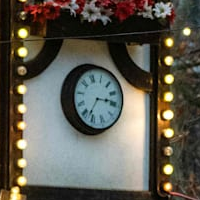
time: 3:37
